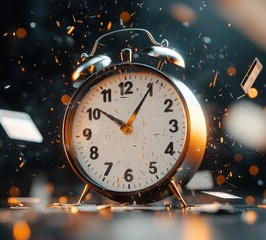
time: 10:05
